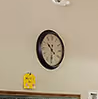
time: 10:30
